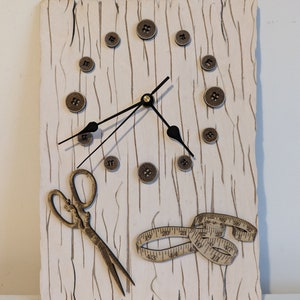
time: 4:42
